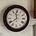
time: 11:38
